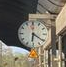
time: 6:20
